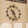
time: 10:26
